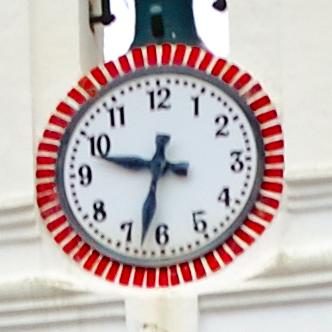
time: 9:32
